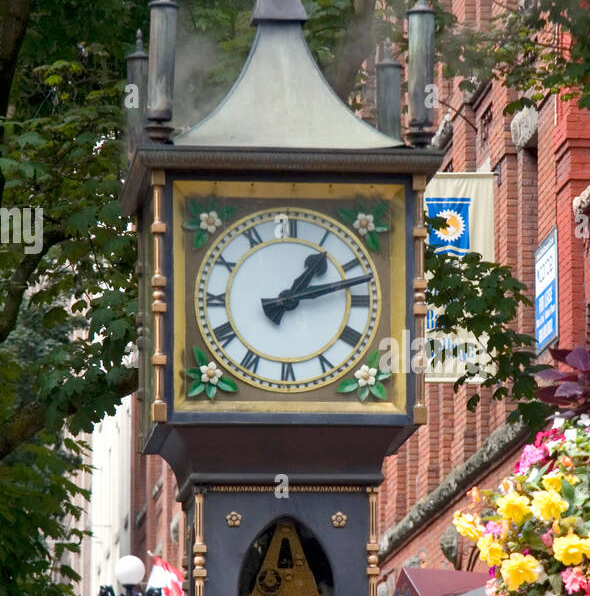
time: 1:12
